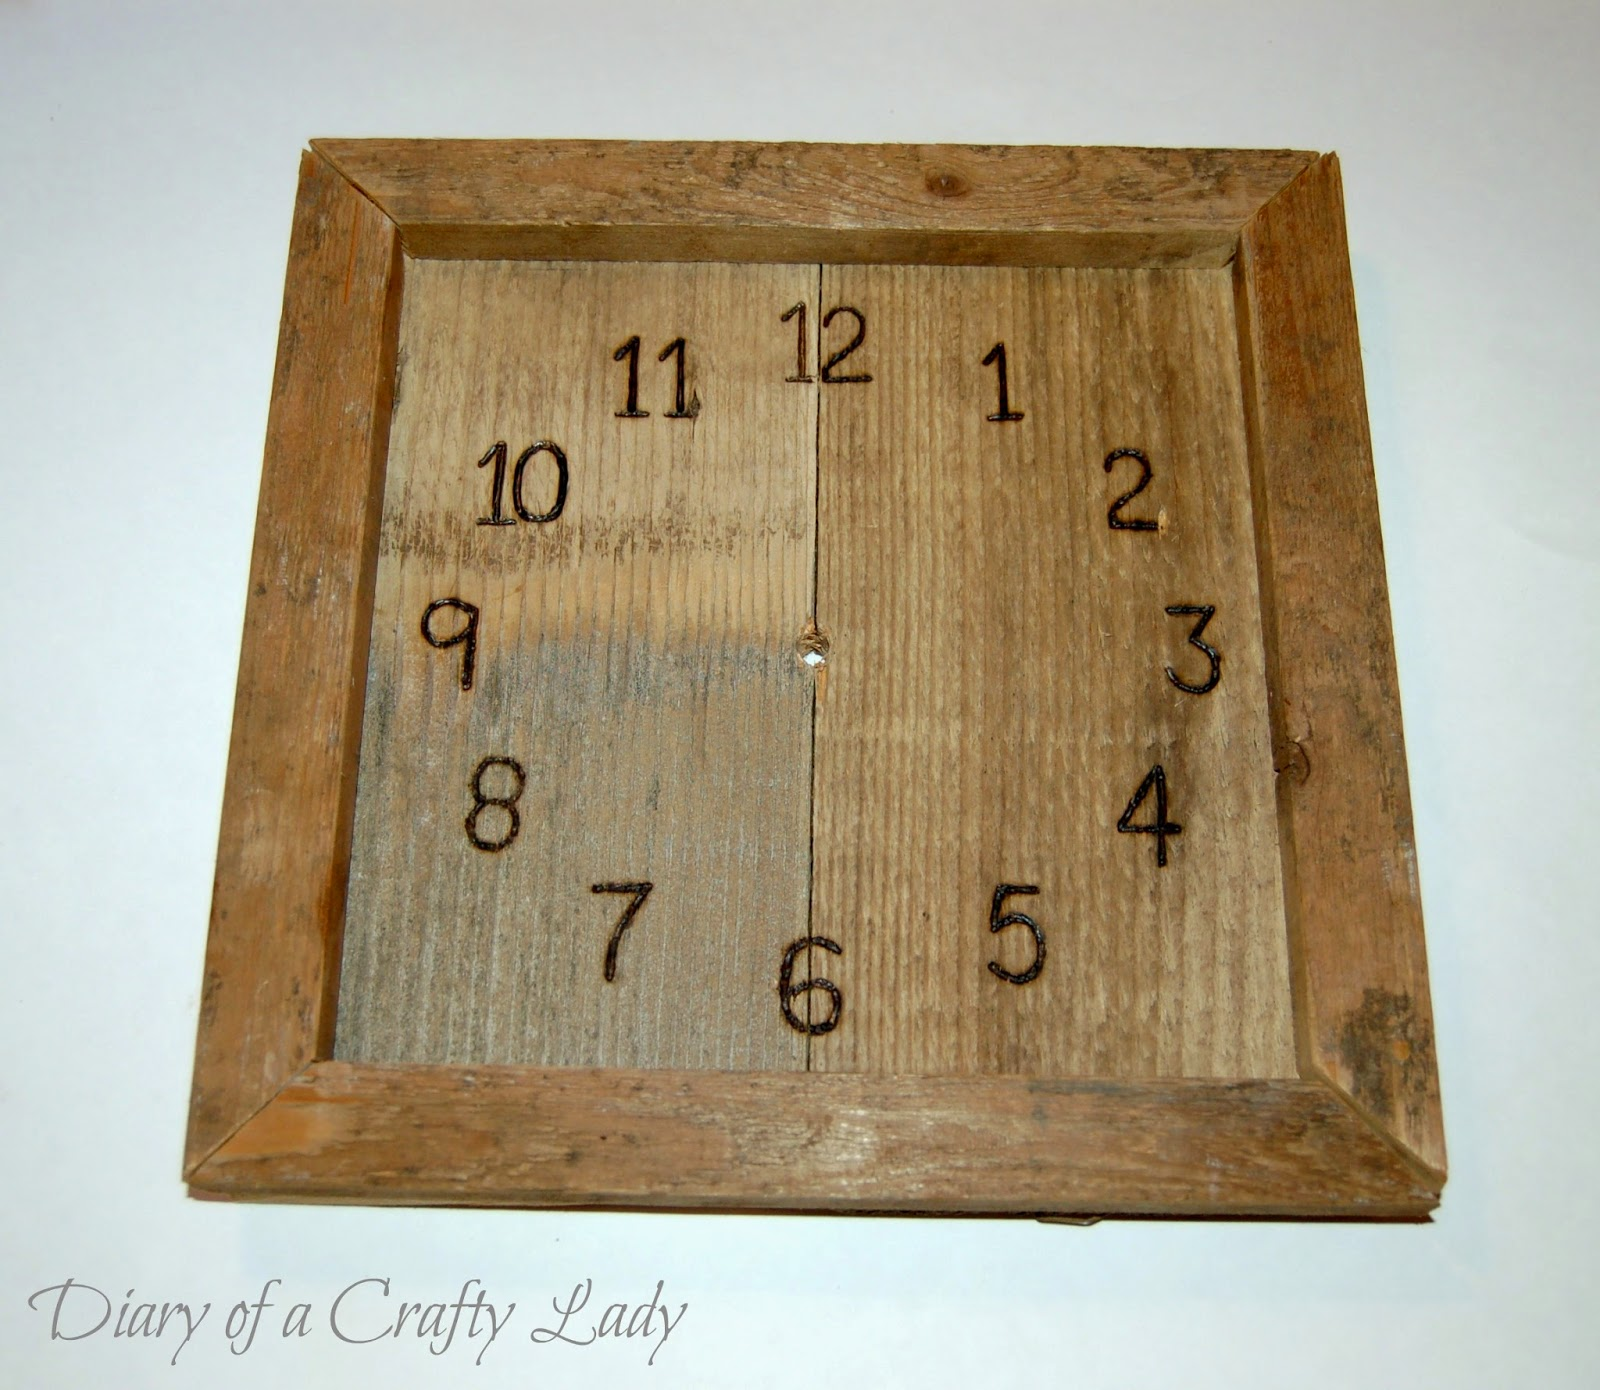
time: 6:00
